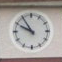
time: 9:54
